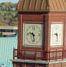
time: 9:28
